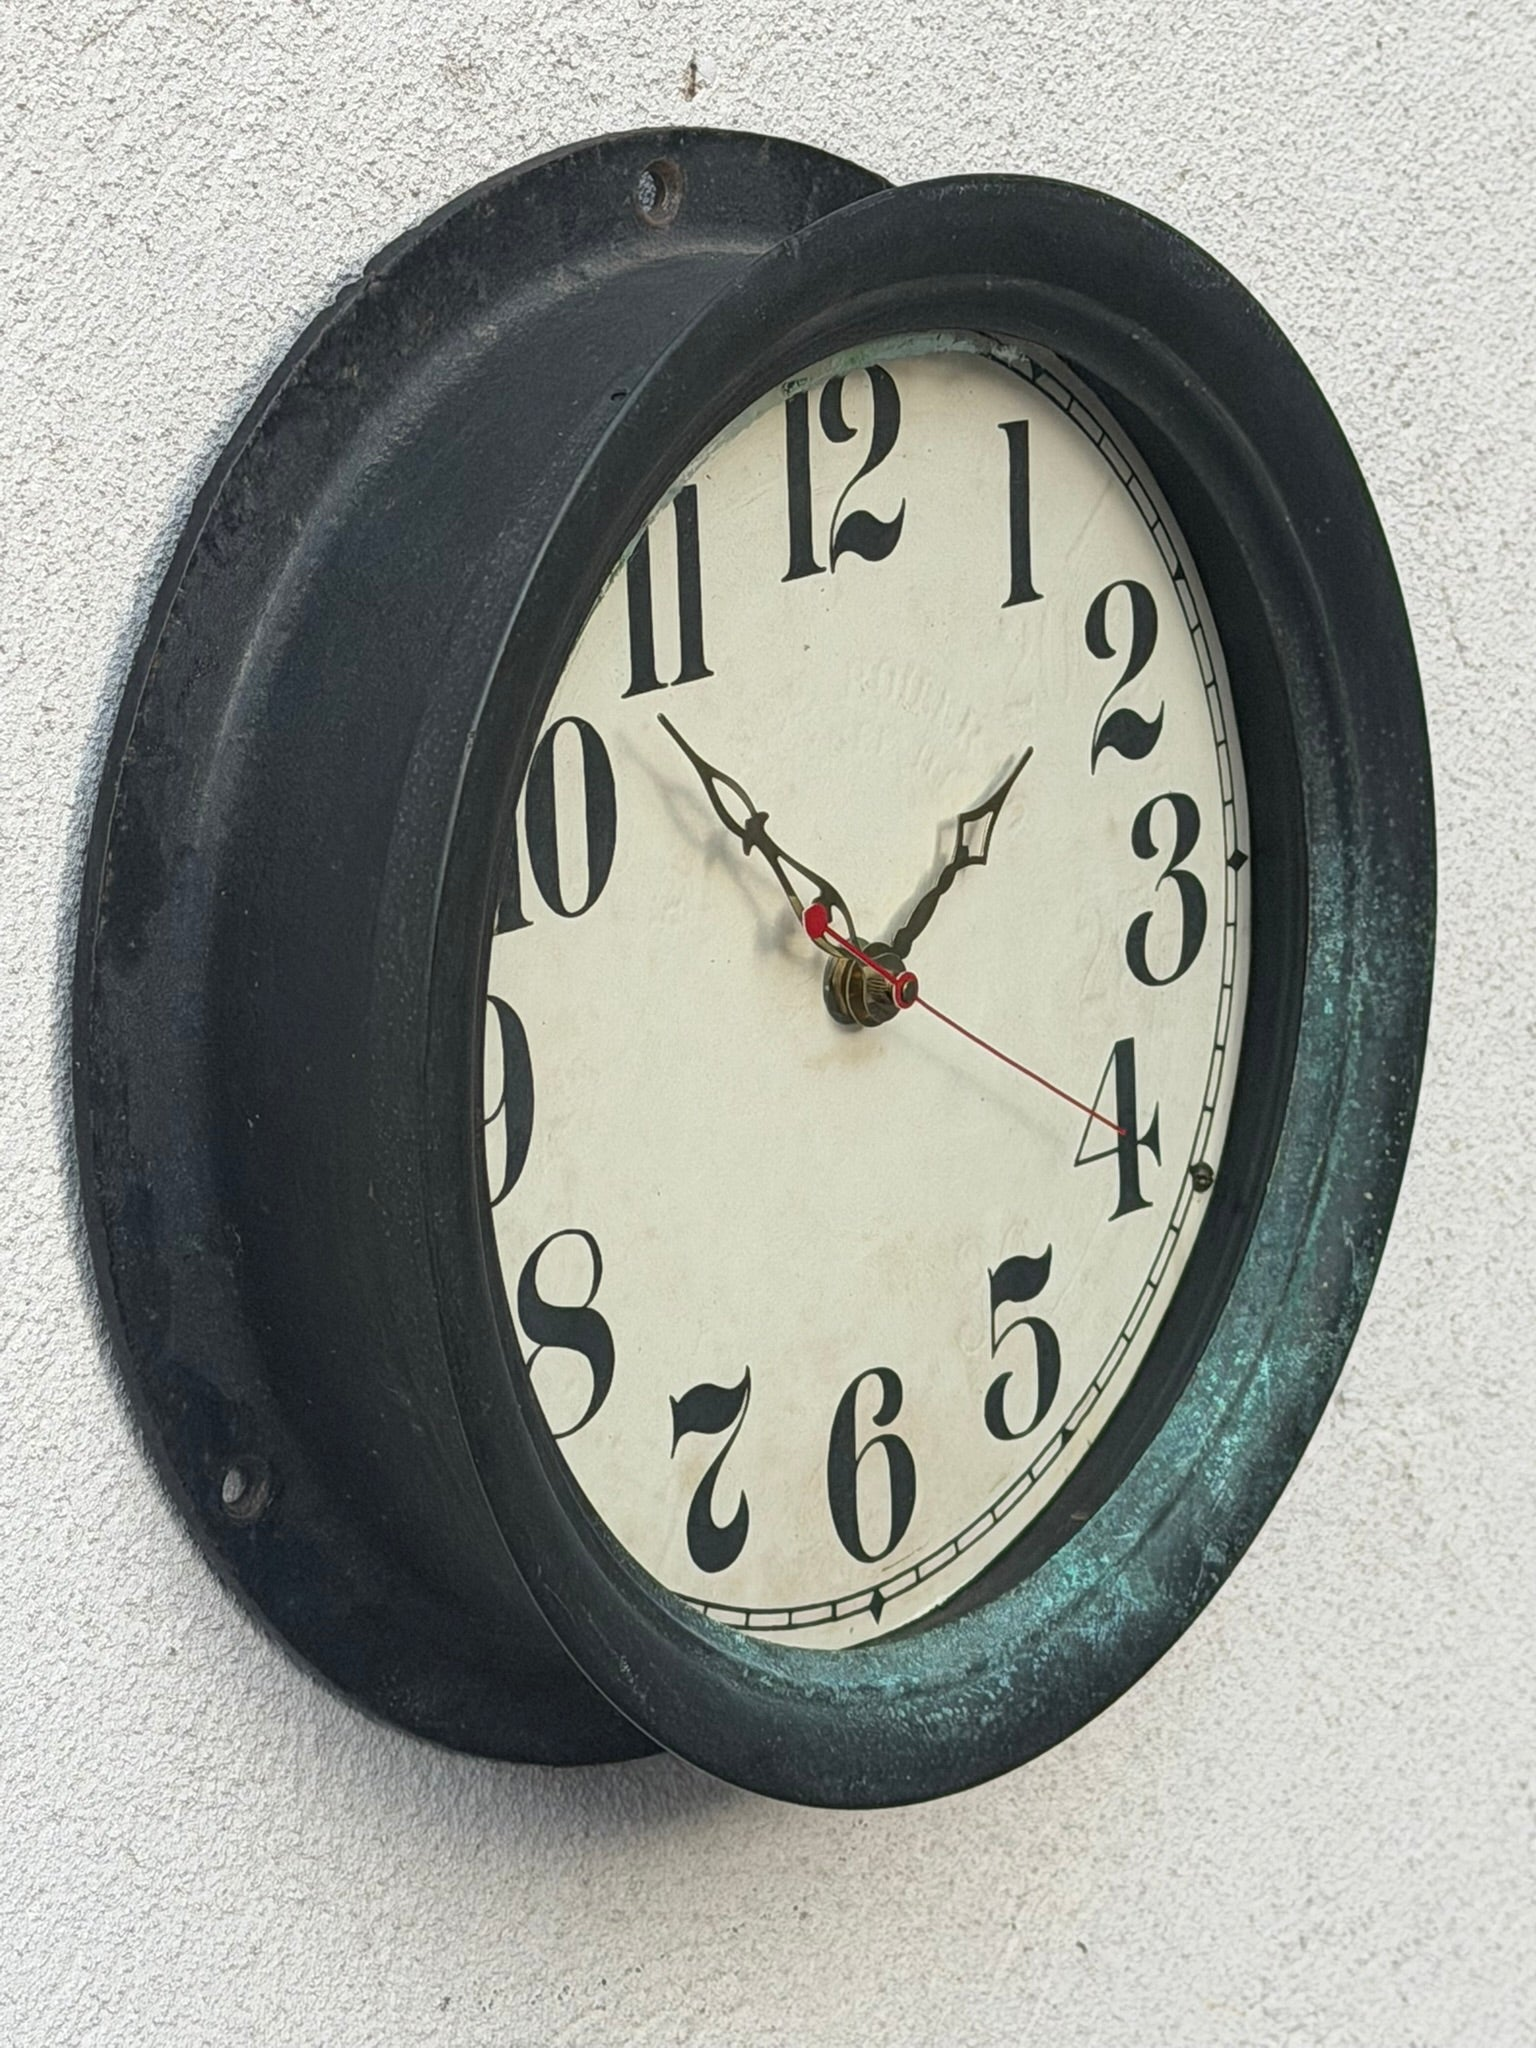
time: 1:52
